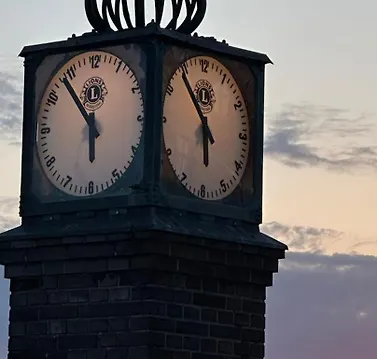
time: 5:53
